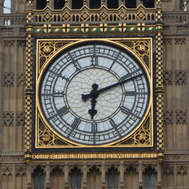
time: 6:11
